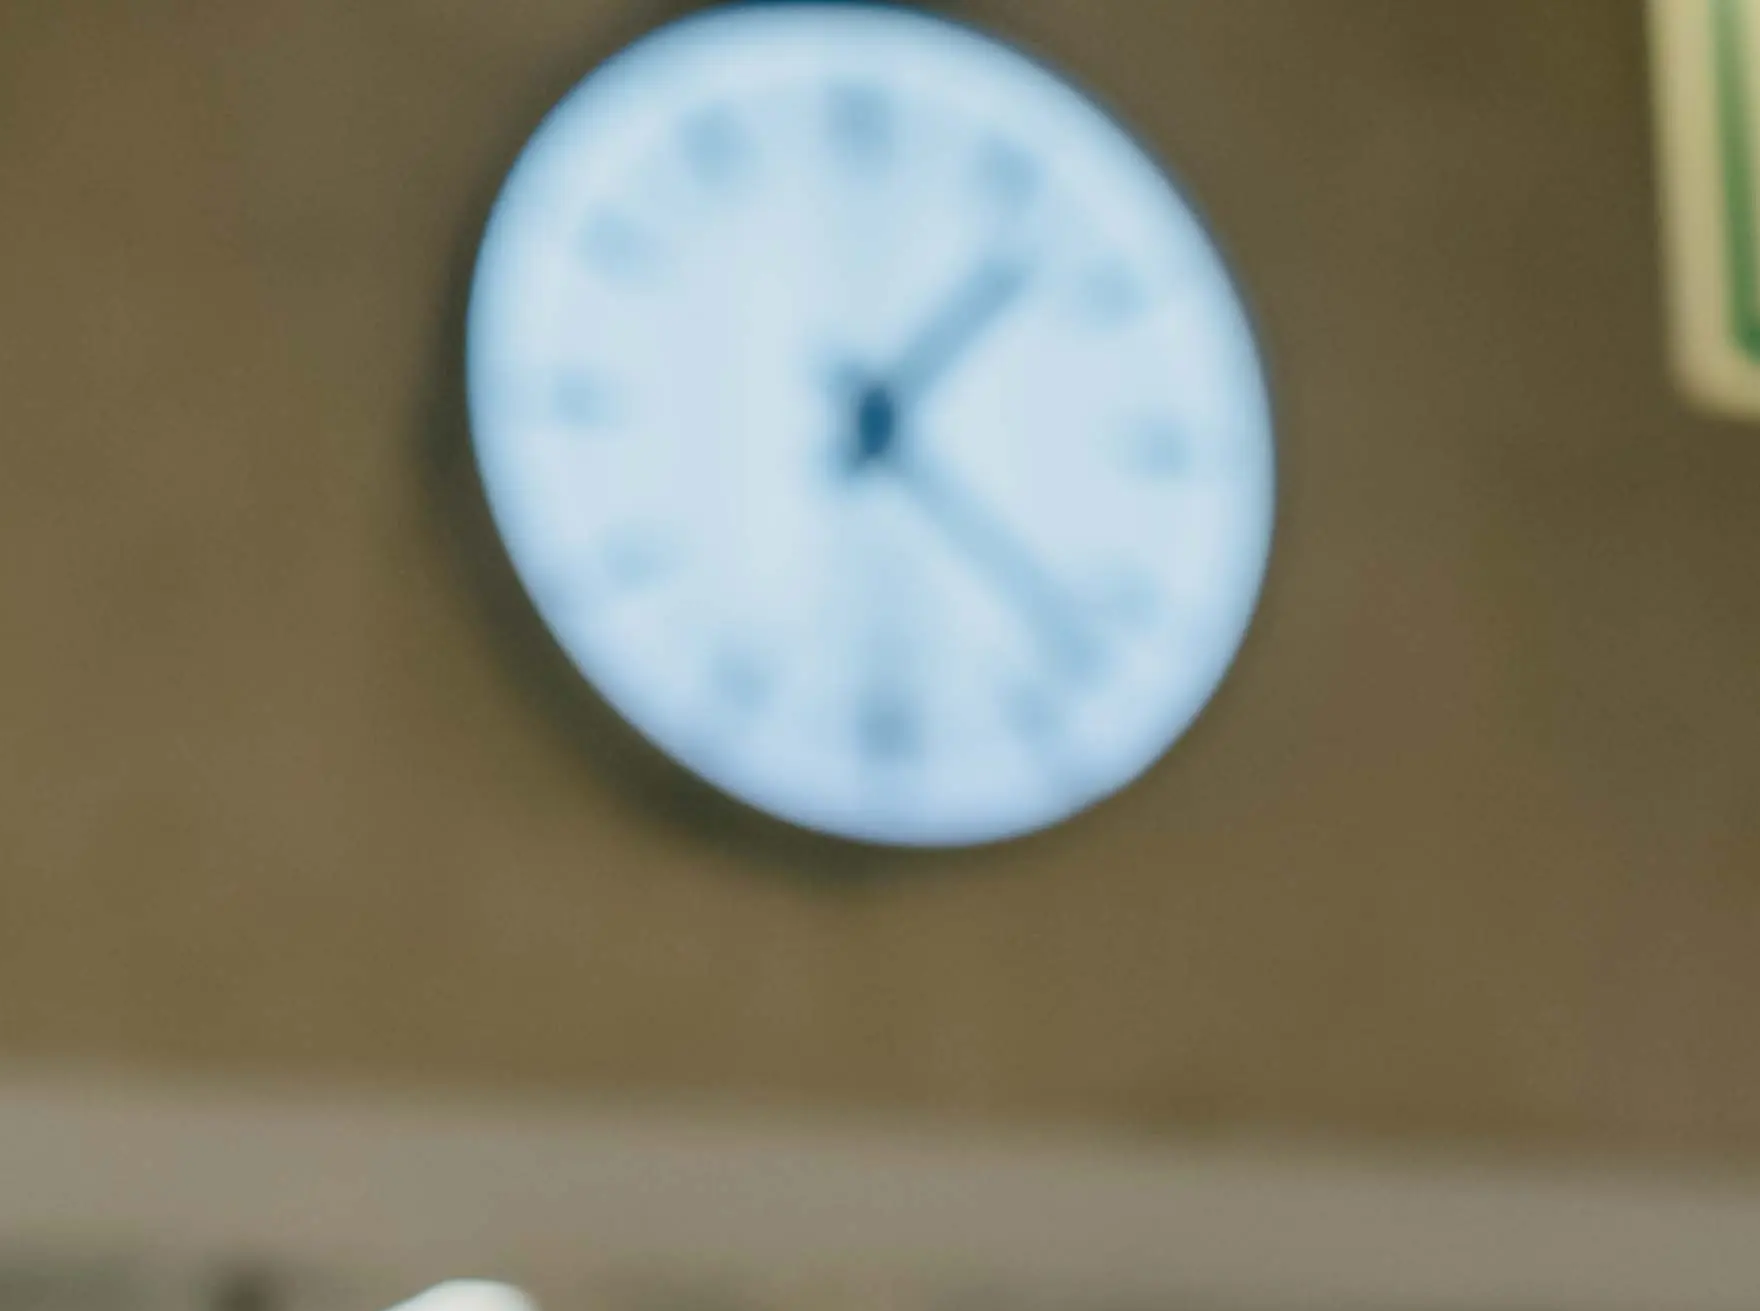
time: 1:22
